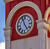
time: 4:56
